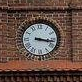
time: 3:16
